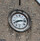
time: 8:13
